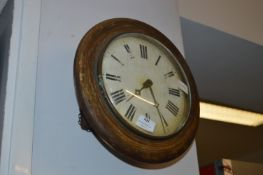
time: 7:25
